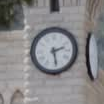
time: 2:28
